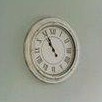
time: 10:56
